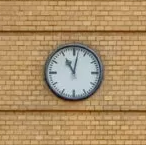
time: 11:01
